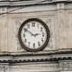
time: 2:50
